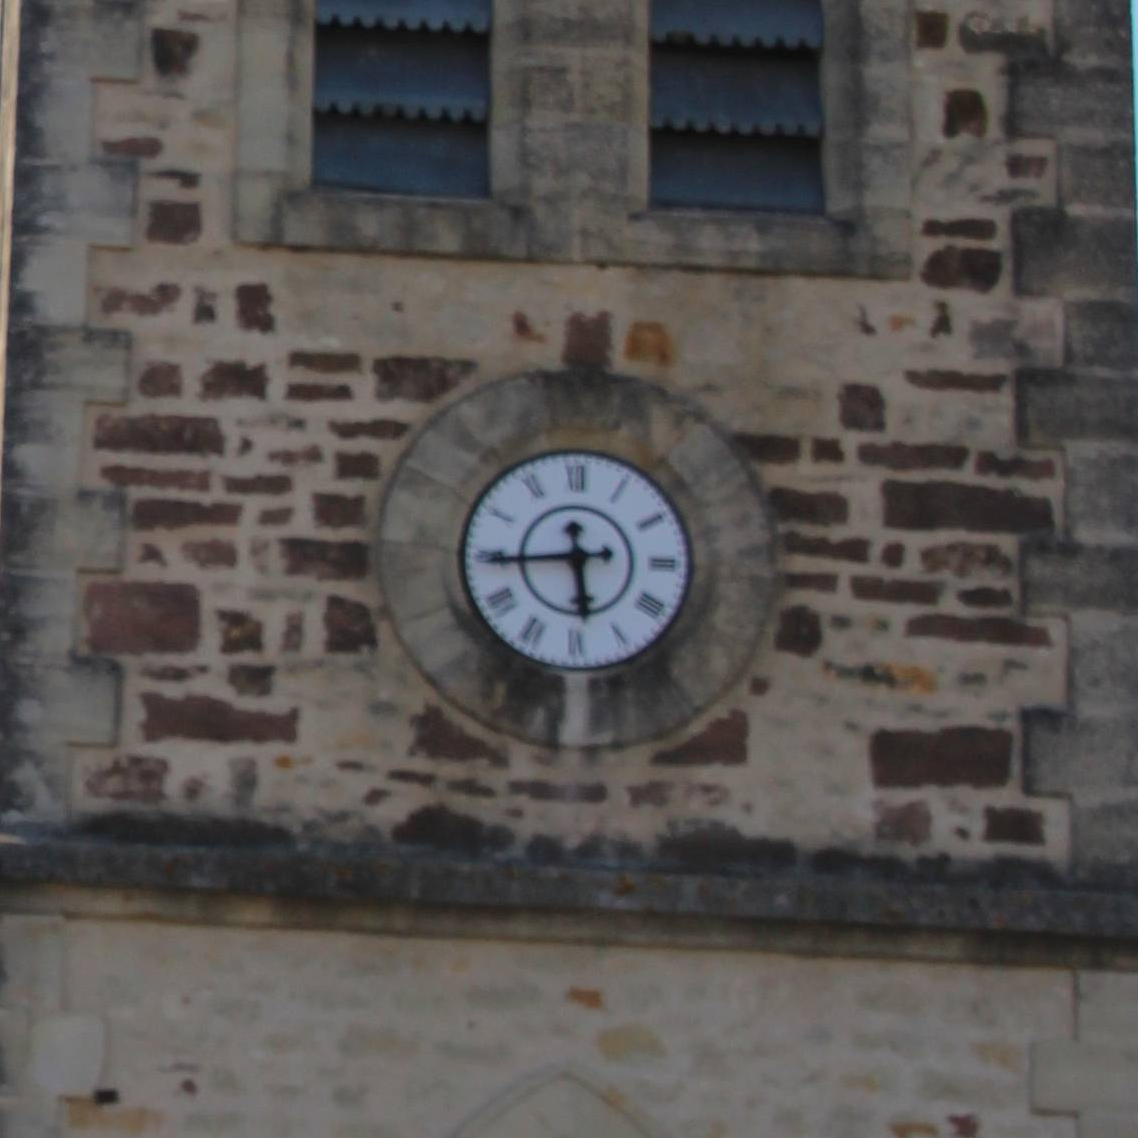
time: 5:44
